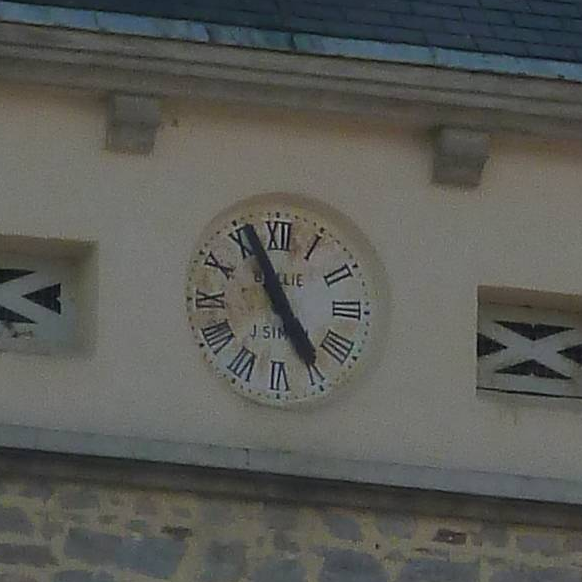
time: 4:56
